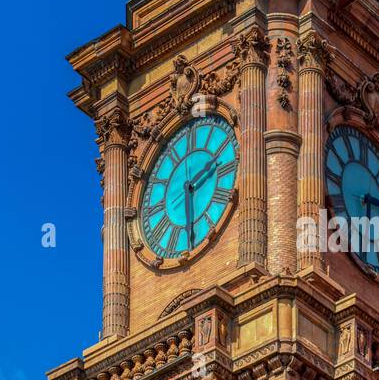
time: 2:29
